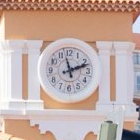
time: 2:11
